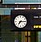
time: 7:15
